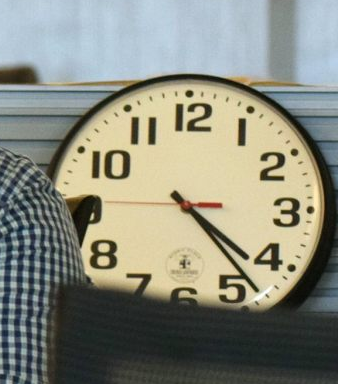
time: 4:23
